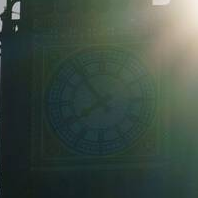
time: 7:53
